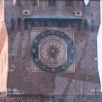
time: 5:35
